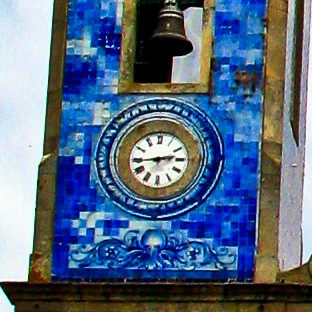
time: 2:44
